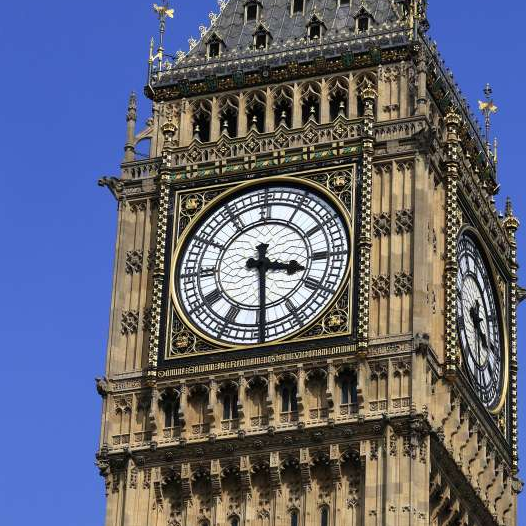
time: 3:29
